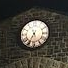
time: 5:35
